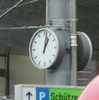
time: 1:02
